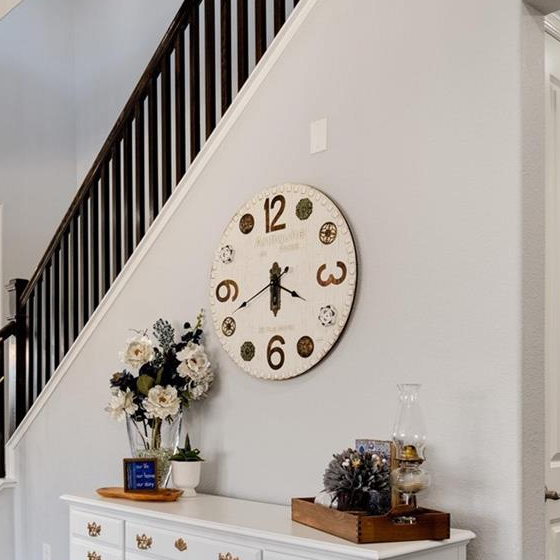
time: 5:41
